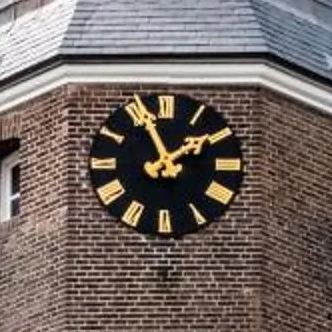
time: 1:56
